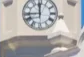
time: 11:44
